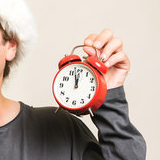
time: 11:57
